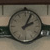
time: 2:04
